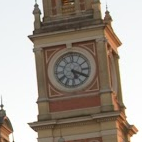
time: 5:19
